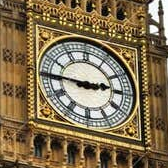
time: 2:45
